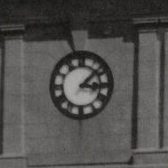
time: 3:07
